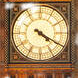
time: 4:20
